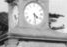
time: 4:28
